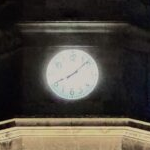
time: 8:08
